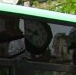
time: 9:38
